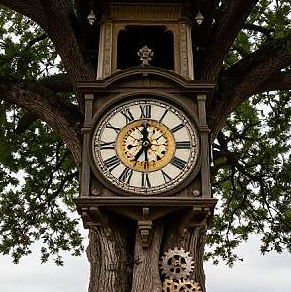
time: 6:59
